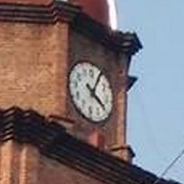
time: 4:04
